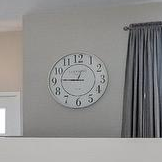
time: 12:45
